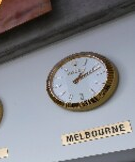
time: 1:11
